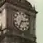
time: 7:15
